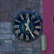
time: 12:24
